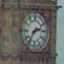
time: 2:36
